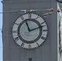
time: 11:12
